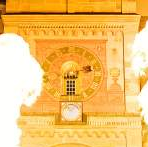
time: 2:29
